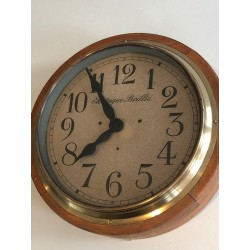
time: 7:54
